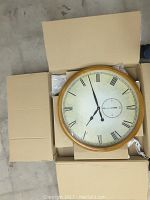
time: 6:57
